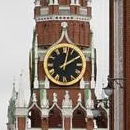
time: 2:02
